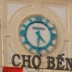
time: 4:31
